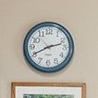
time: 2:40
